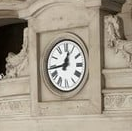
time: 12:43
